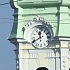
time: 11:40
